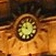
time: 11:46
